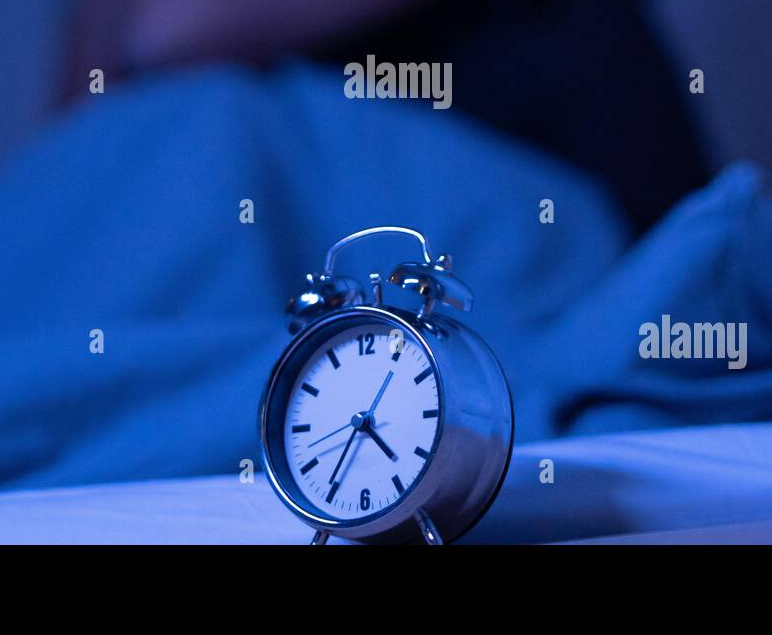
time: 4:35
